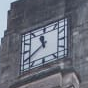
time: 11:39
